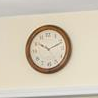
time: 10:11
